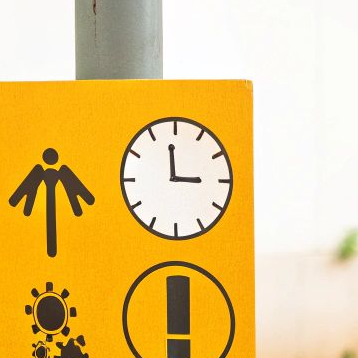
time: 2:58
